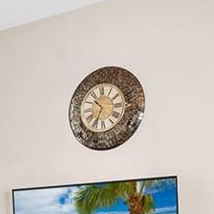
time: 10:34
